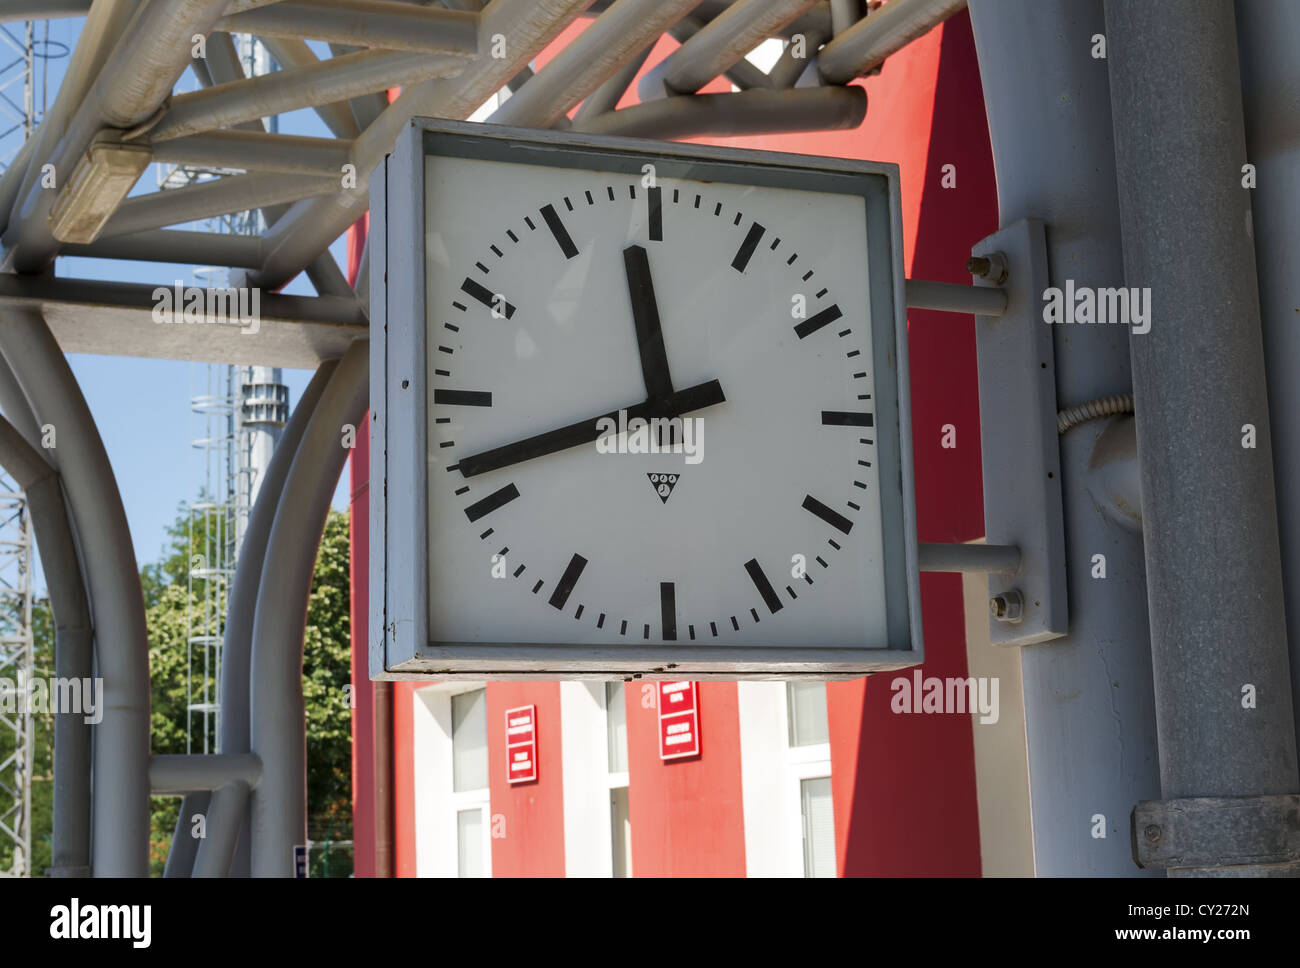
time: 11:41
